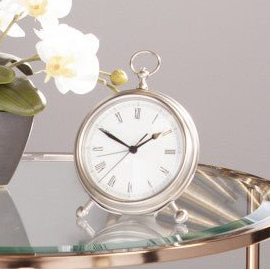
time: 1:49
